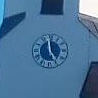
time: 4:59
